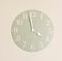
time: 3:58
